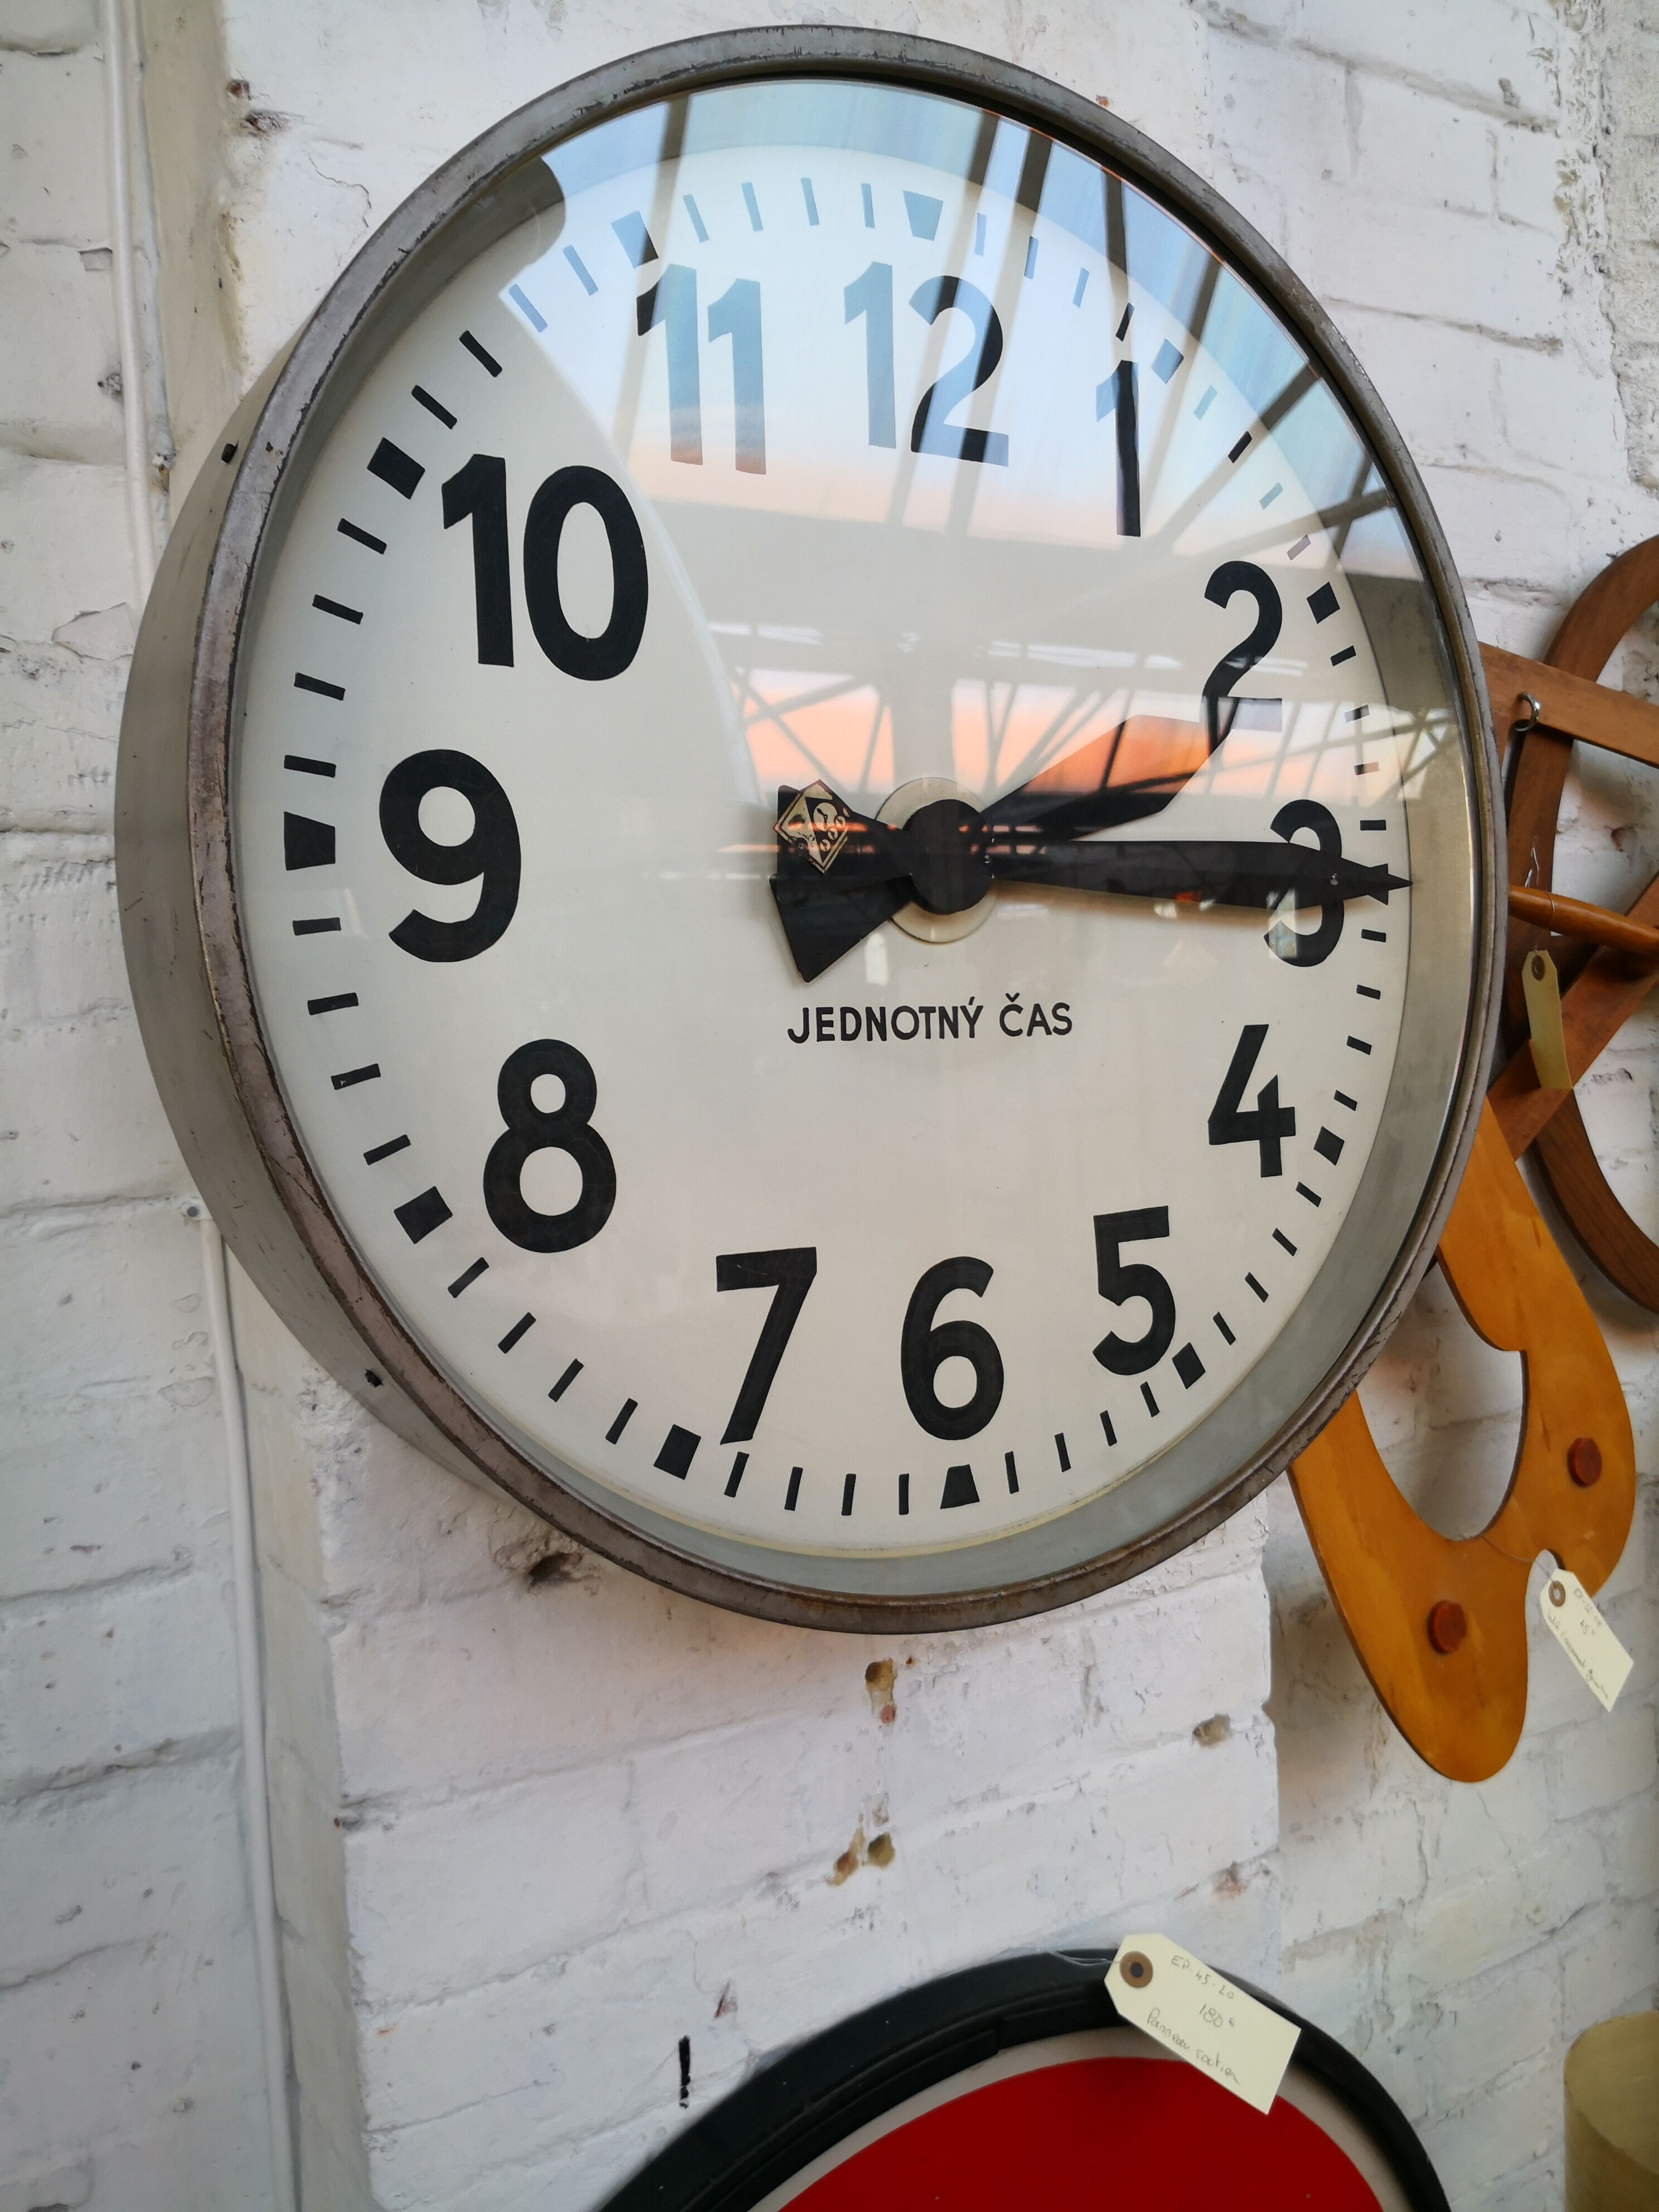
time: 2:14
